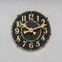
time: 10:11
